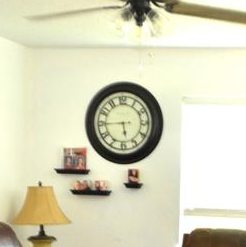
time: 5:44
